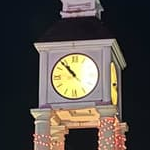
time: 10:53
